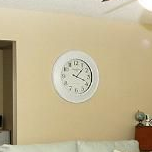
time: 1:18
